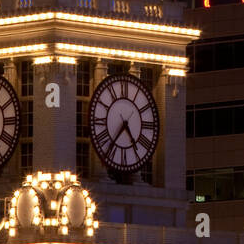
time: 4:36
